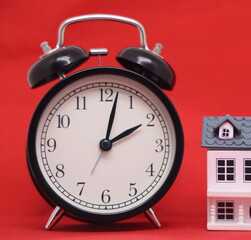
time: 2:02
